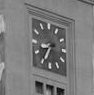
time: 8:35
